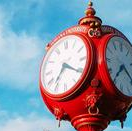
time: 7:20
